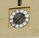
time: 1:37
